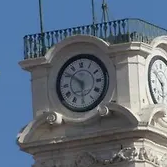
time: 5:51
